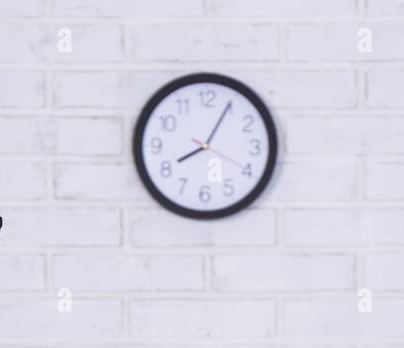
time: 8:04
